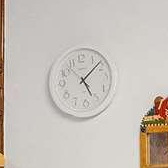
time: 5:08
